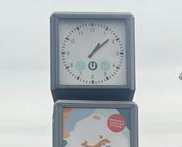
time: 1:08
